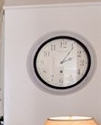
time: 2:06
